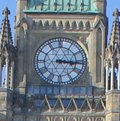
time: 3:15
